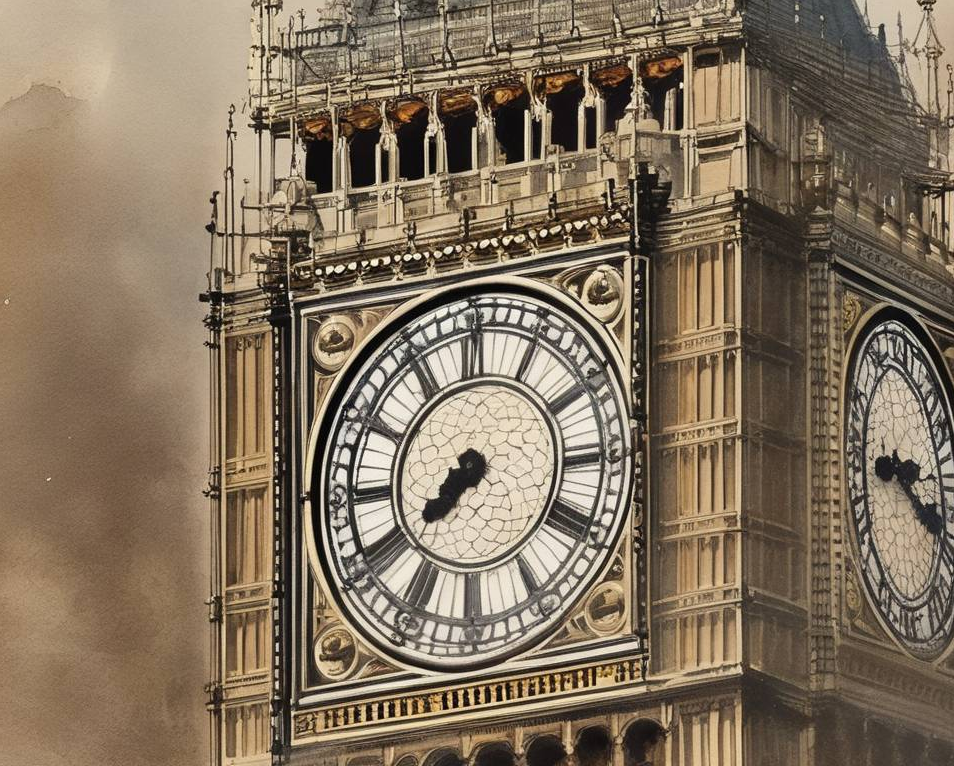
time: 7:40
